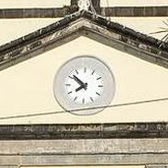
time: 7:52
